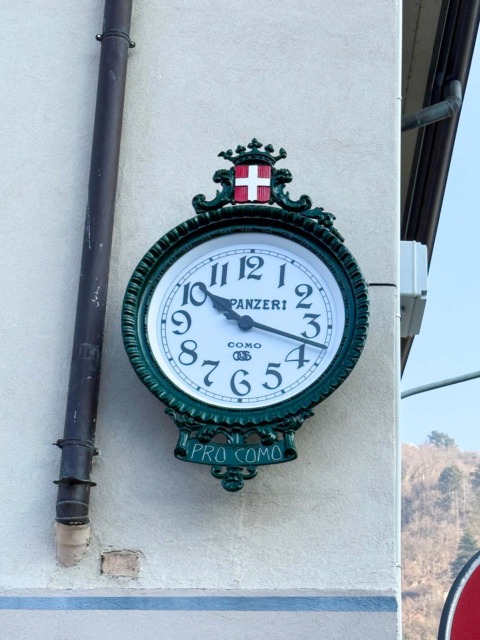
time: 10:17
